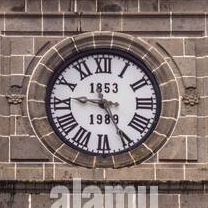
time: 9:25
